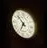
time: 6:52
